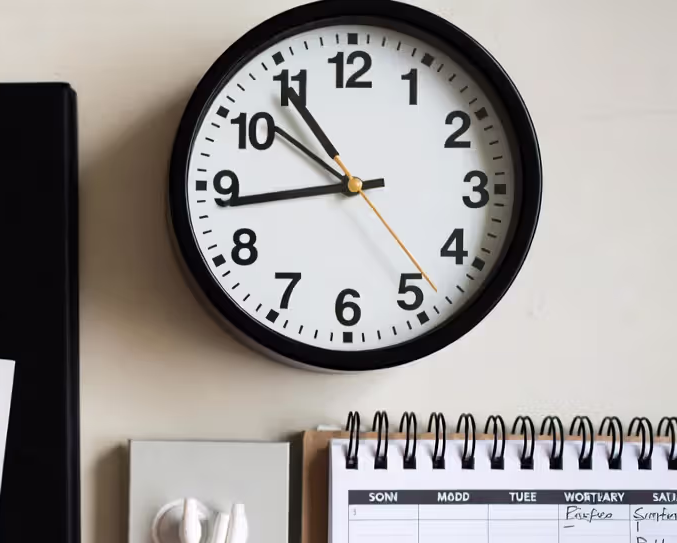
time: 10:43
